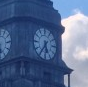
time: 5:35
